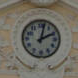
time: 2:01
